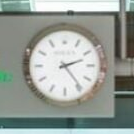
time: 2:23
